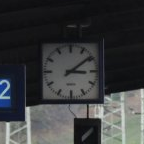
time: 3:09
